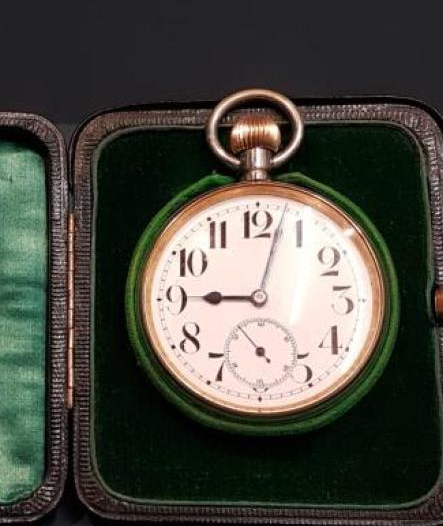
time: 9:02
